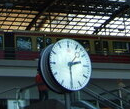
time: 2:29
